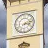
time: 3:12
